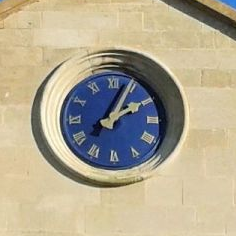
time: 2:04
